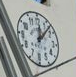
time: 12:07
